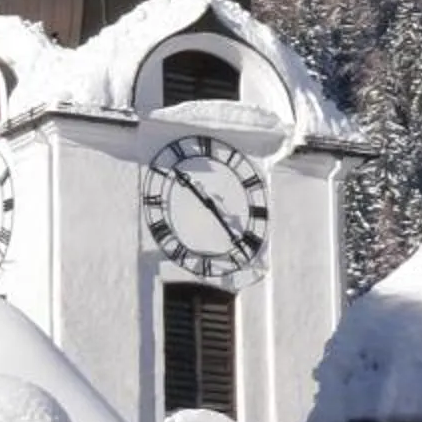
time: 10:22
